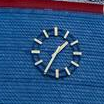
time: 1:35
